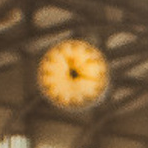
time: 11:17
